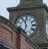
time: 11:33
